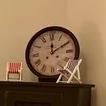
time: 12:09
